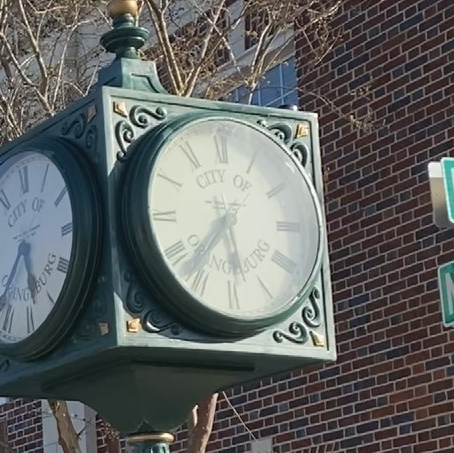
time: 5:36
